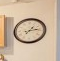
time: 1:13
